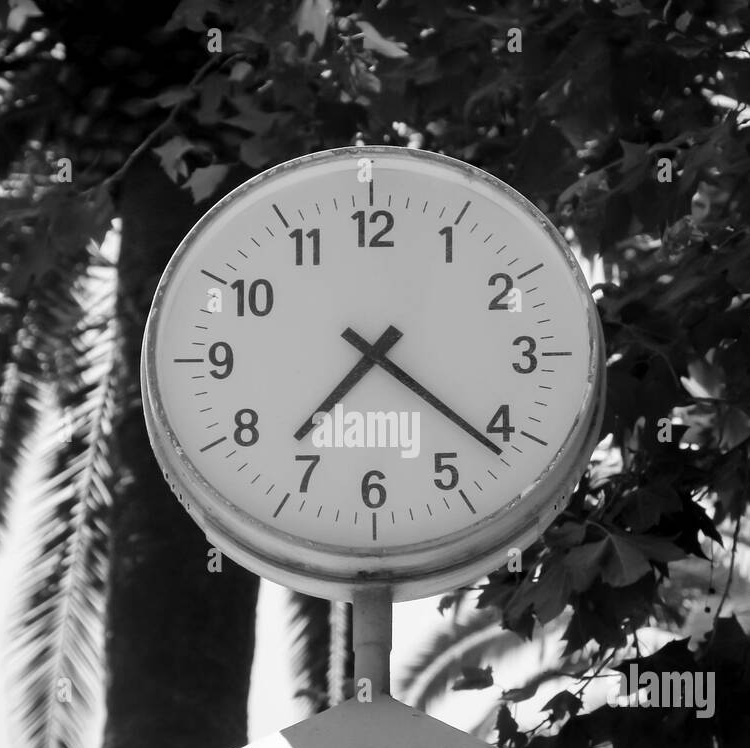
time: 7:21
